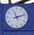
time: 11:12
